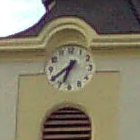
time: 6:39
